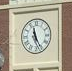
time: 11:25
